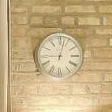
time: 9:02
